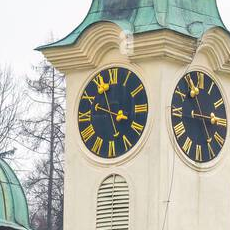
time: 3:48
